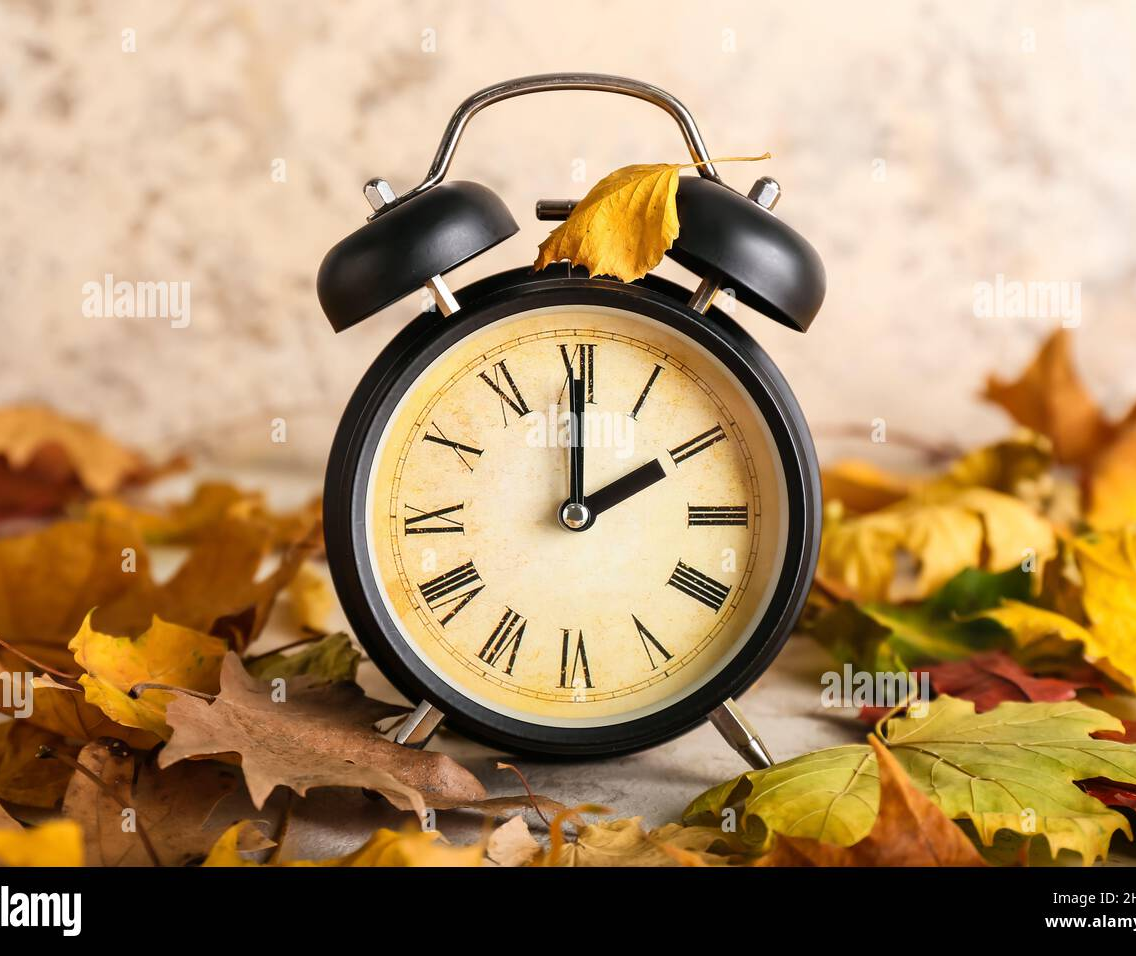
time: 2:00
